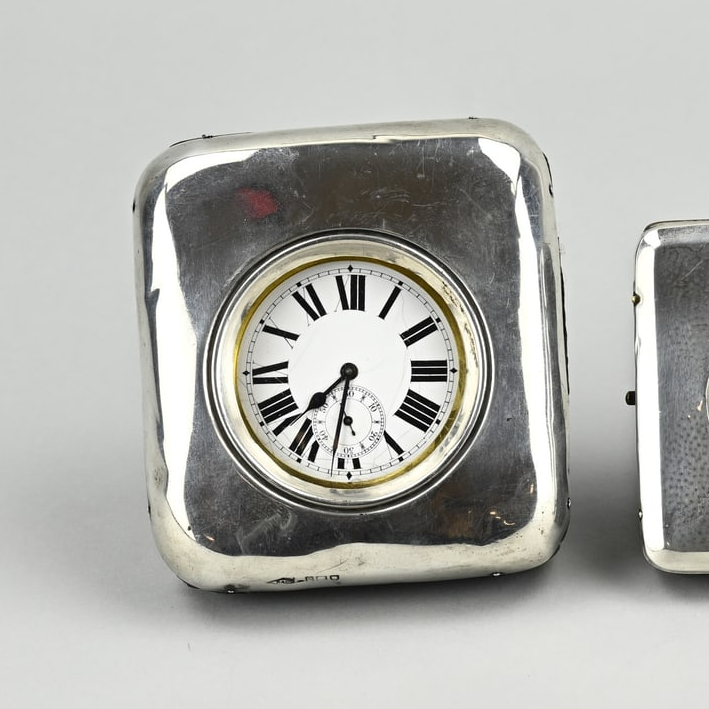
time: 7:32
